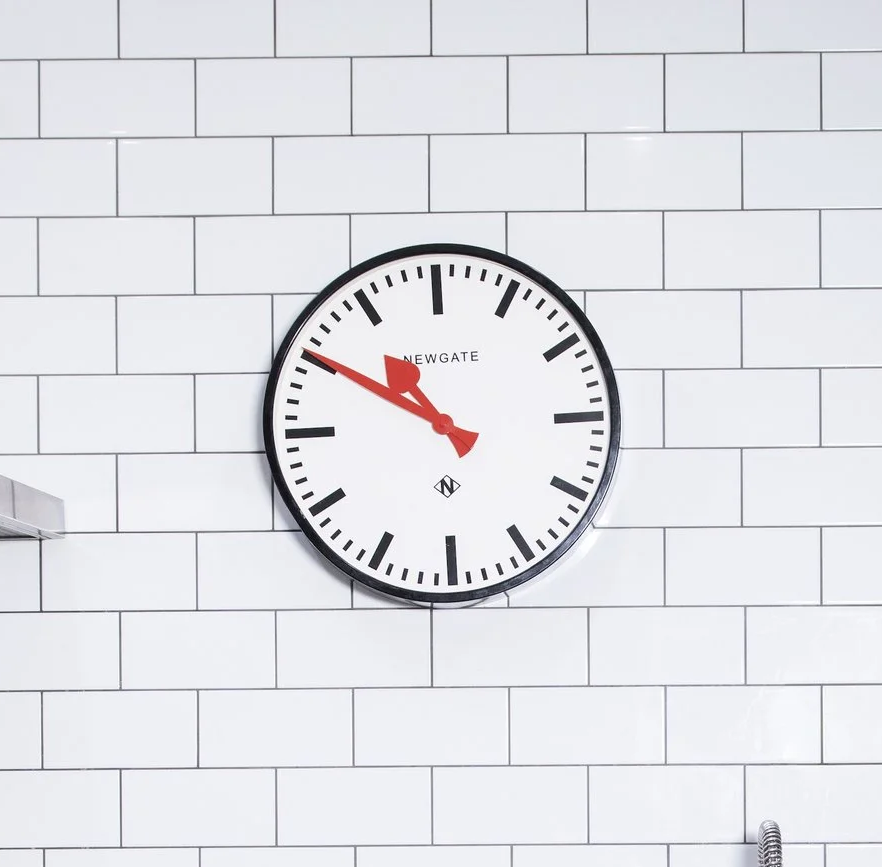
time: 10:50
